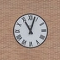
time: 11:03
